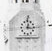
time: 12:16
